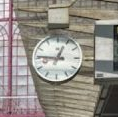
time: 12:46
